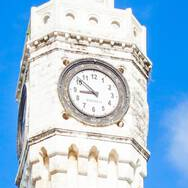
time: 8:51
